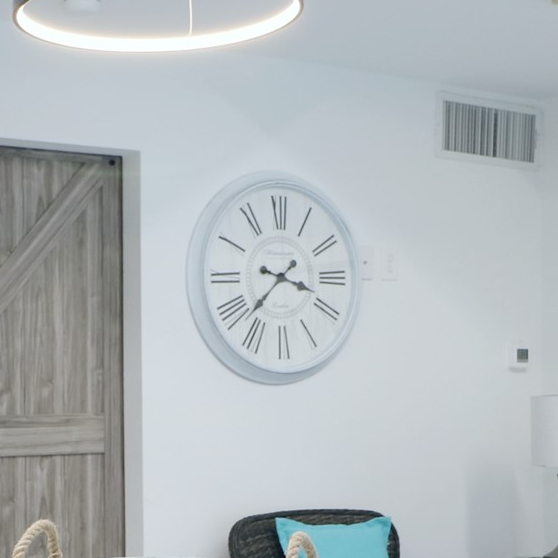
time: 3:37
